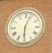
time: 6:03
